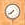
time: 7:39
